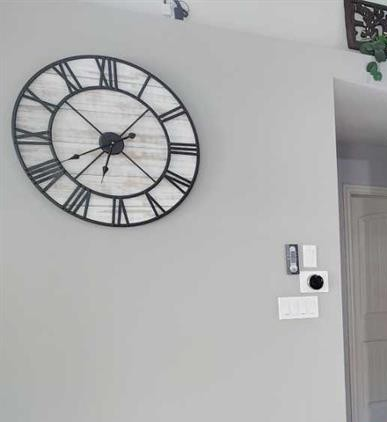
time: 6:40
